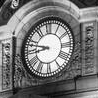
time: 8:47
